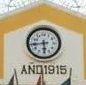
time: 5:44
